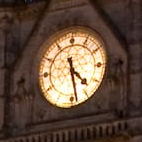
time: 4:28
